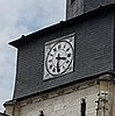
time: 3:31
